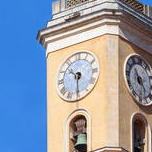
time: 10:30
